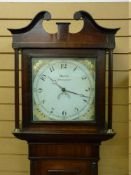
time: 10:18
